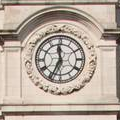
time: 11:34
